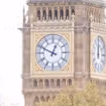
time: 12:49
